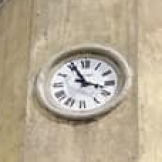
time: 3:55
